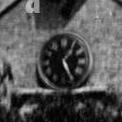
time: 1:26
